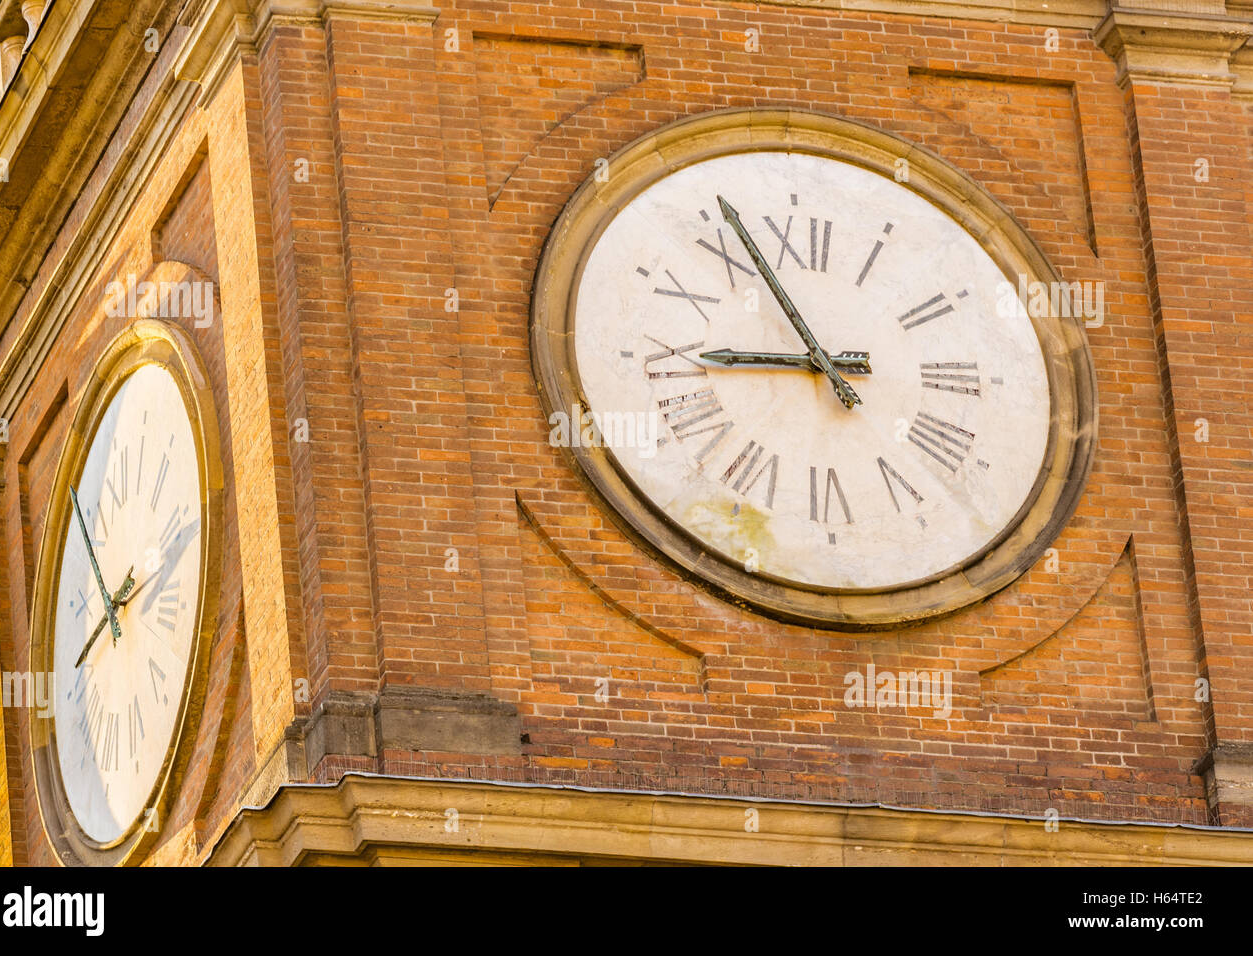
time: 8:55
